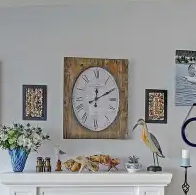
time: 12:10
